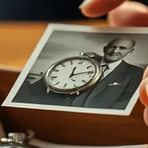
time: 12:13
